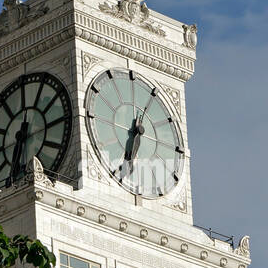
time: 6:34
